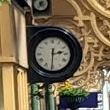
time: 2:30
